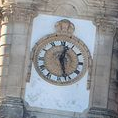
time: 12:27
